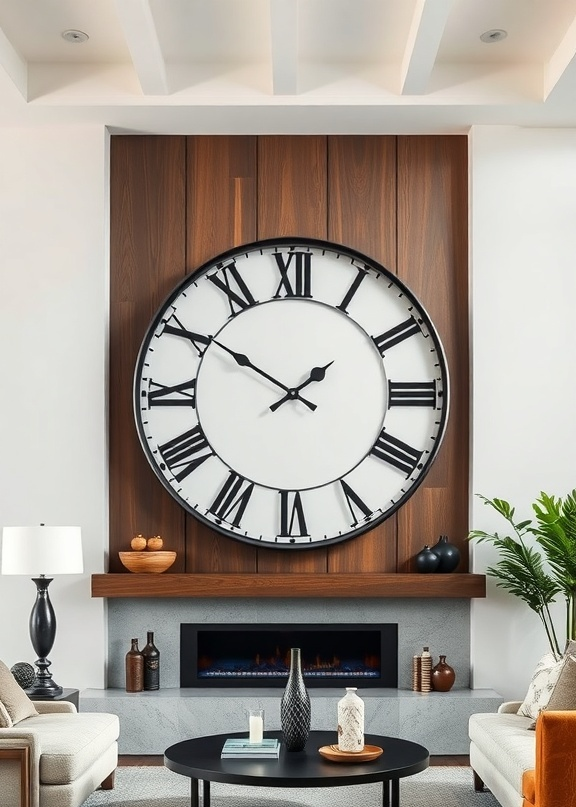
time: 1:50
